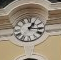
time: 1:16
